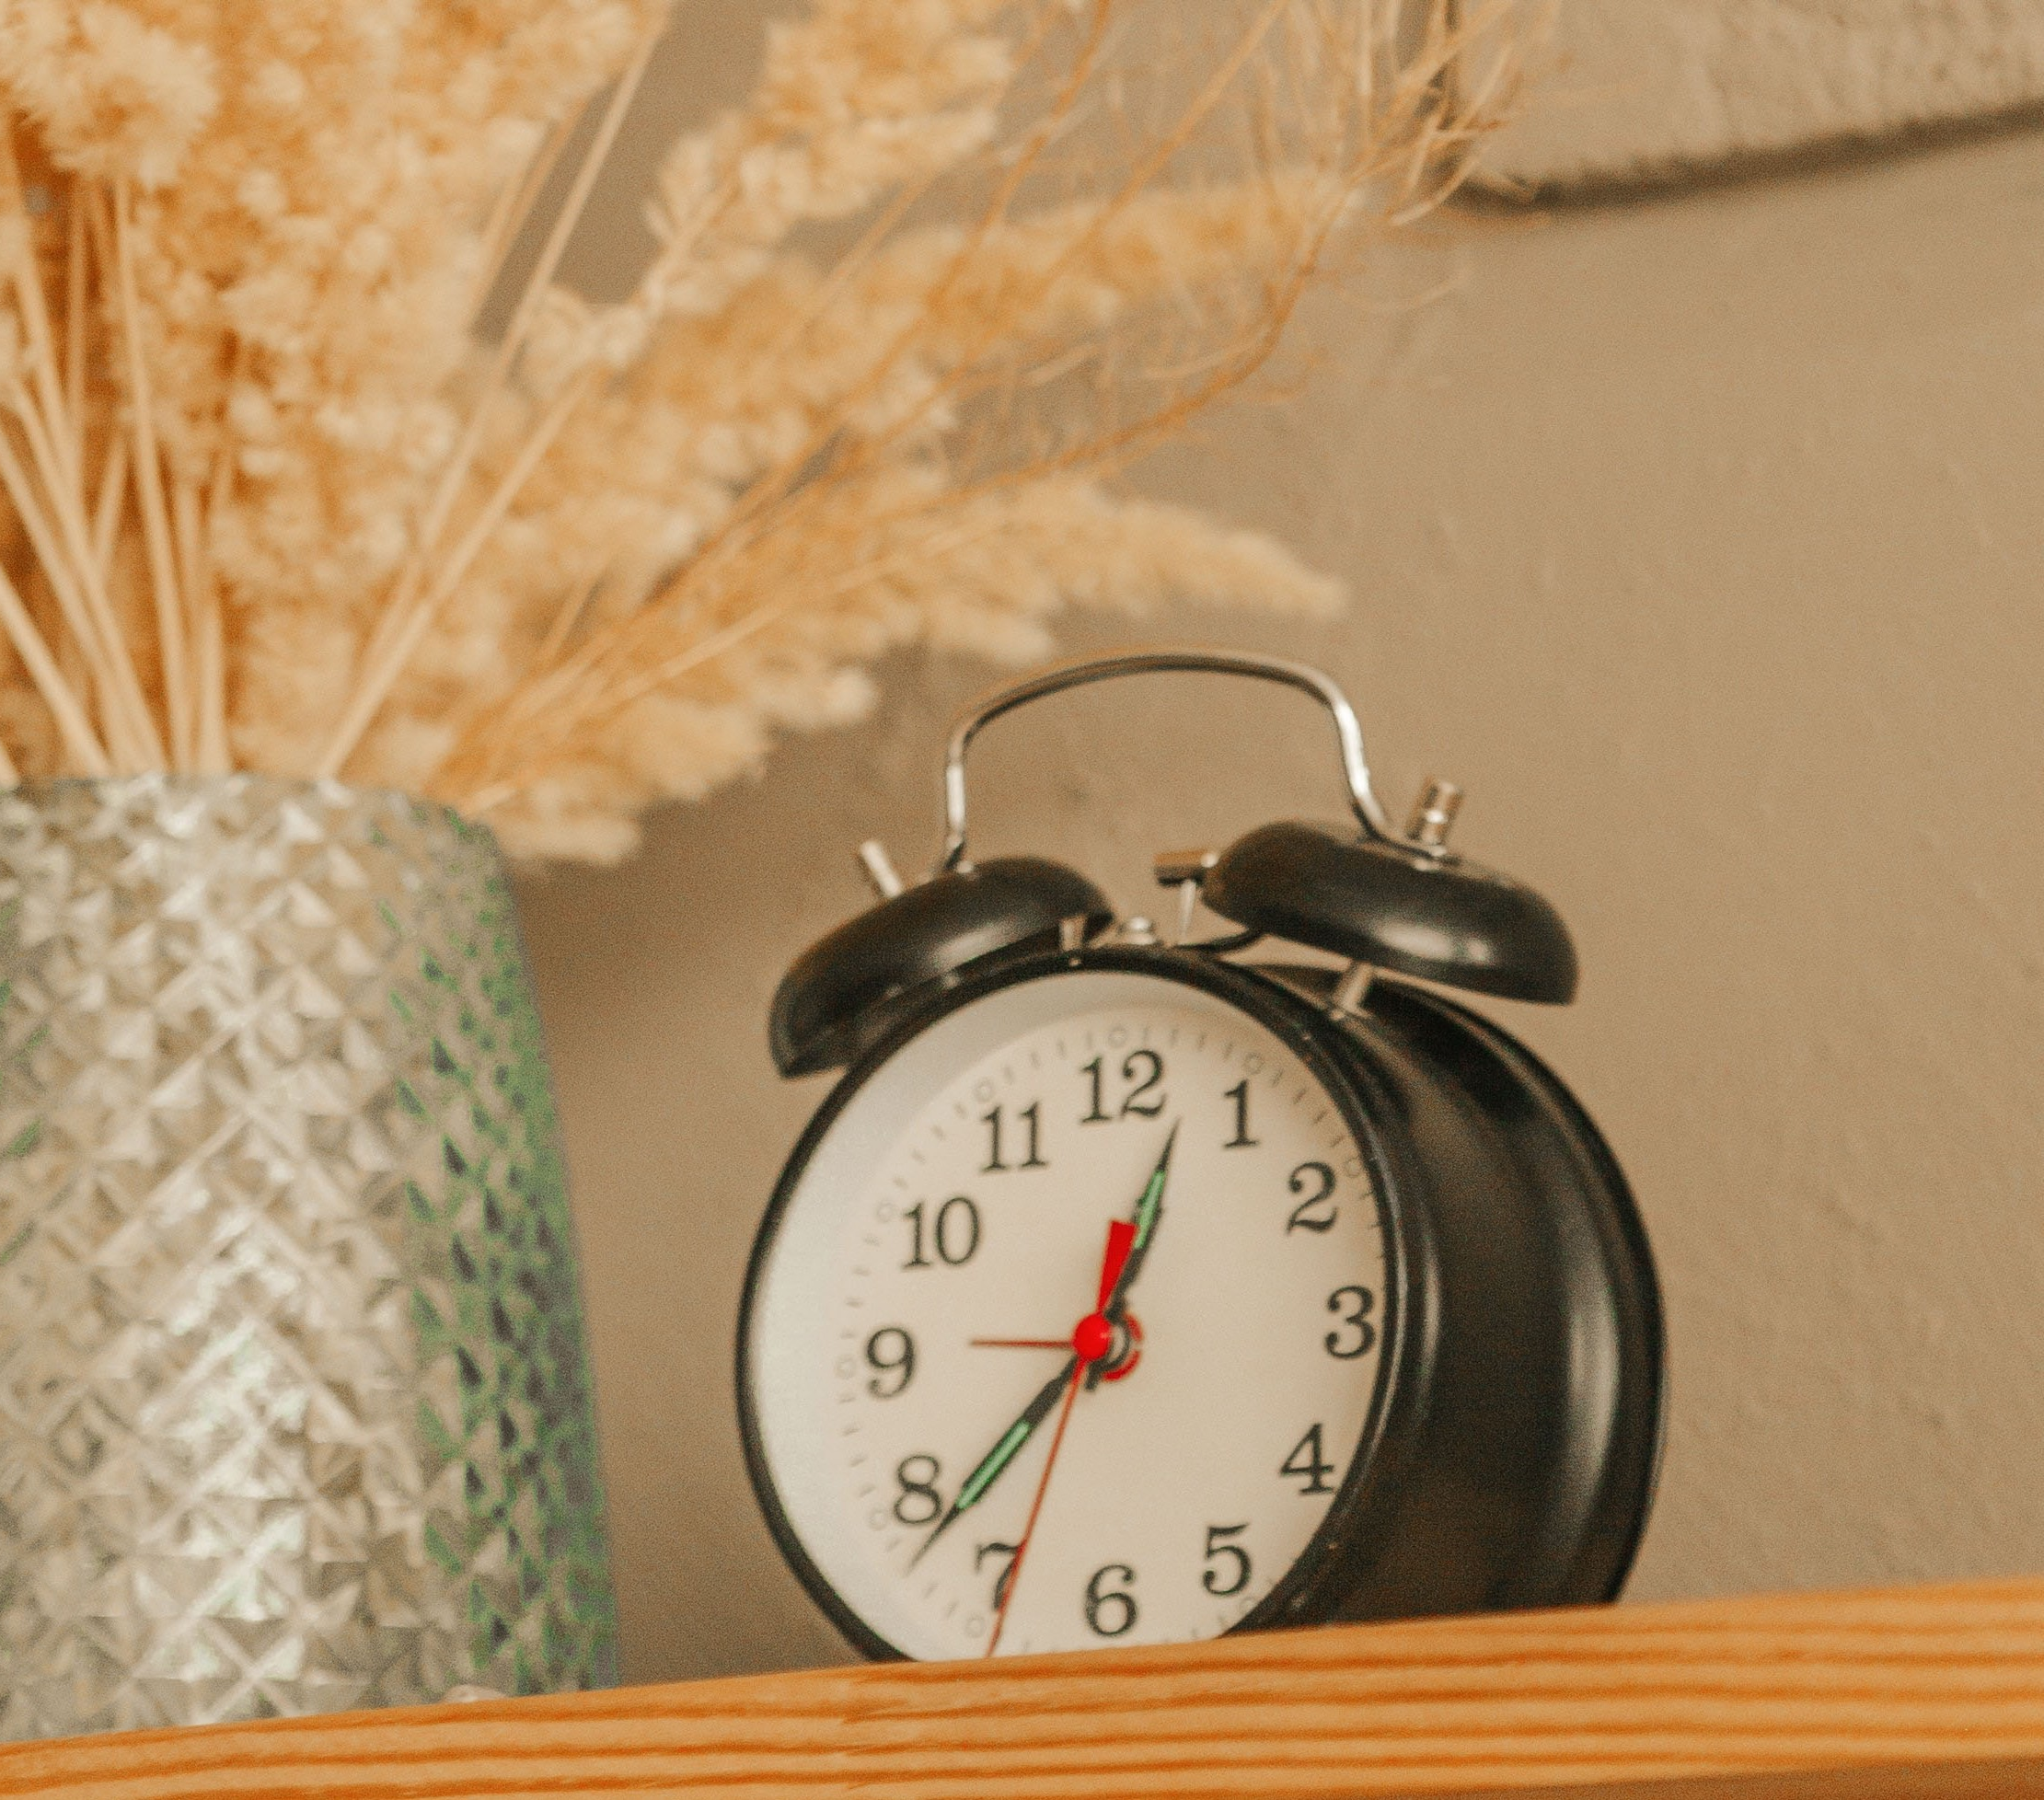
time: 12:37
